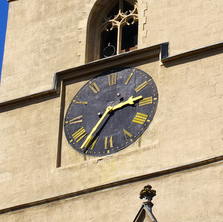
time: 2:36
